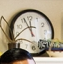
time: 11:56
